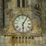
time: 6:05
